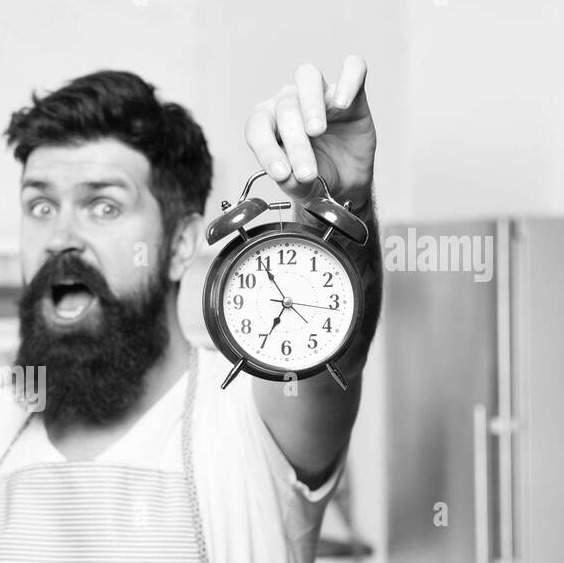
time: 6:55
